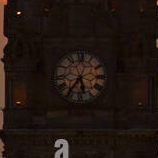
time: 5:36
